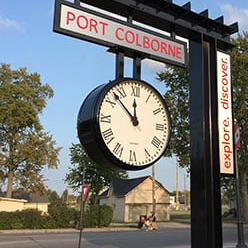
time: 11:52
